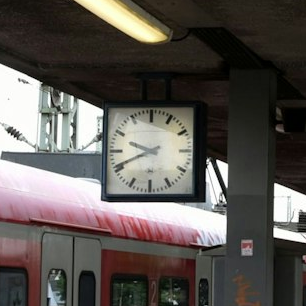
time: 9:41
